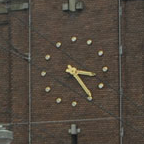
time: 3:24
